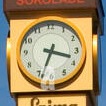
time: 3:33
